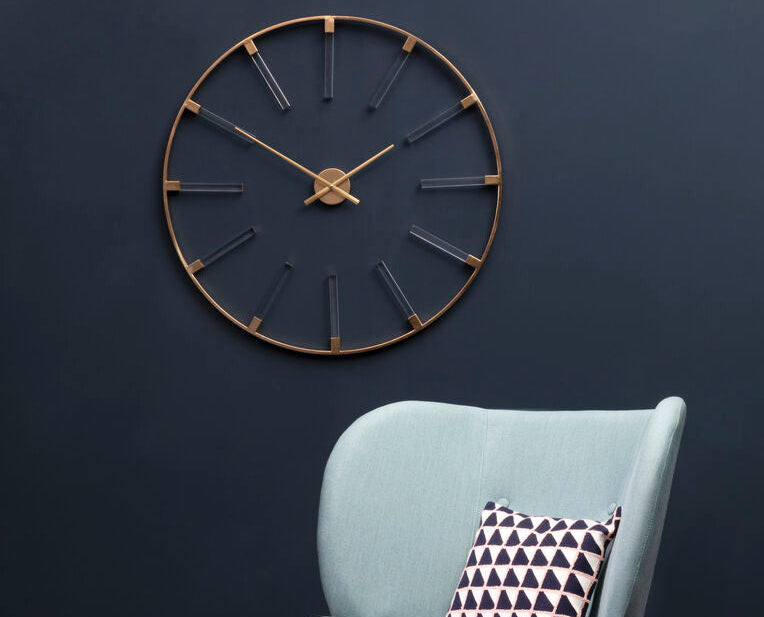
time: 1:50
